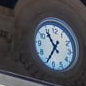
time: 10:34
